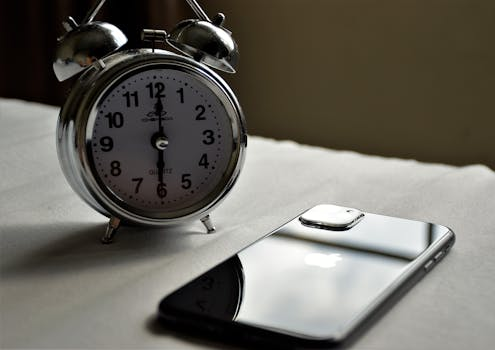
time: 6:00
